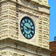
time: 2:48
